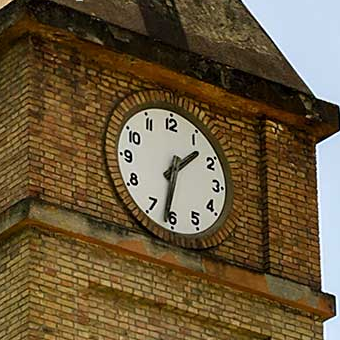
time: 1:31
